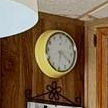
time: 6:20
